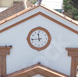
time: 11:43
